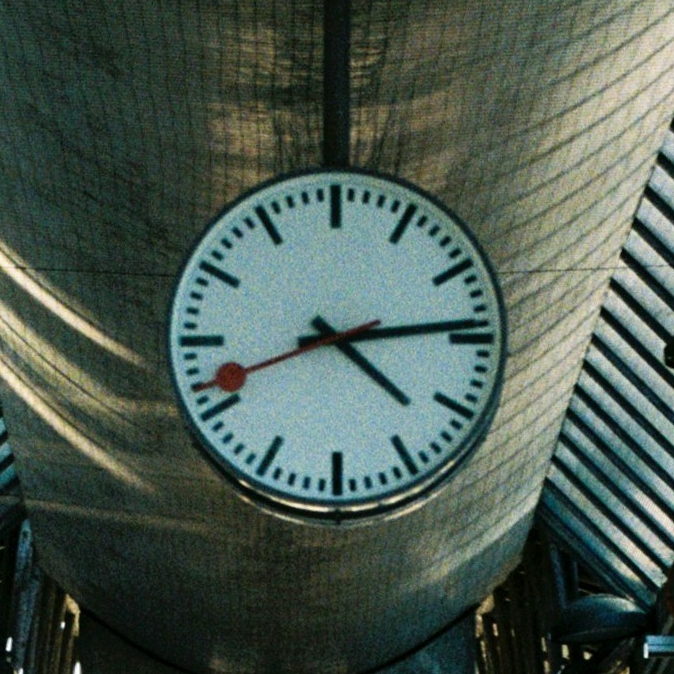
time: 4:13
